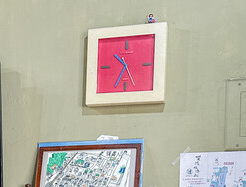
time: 10:34
